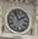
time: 1:56
